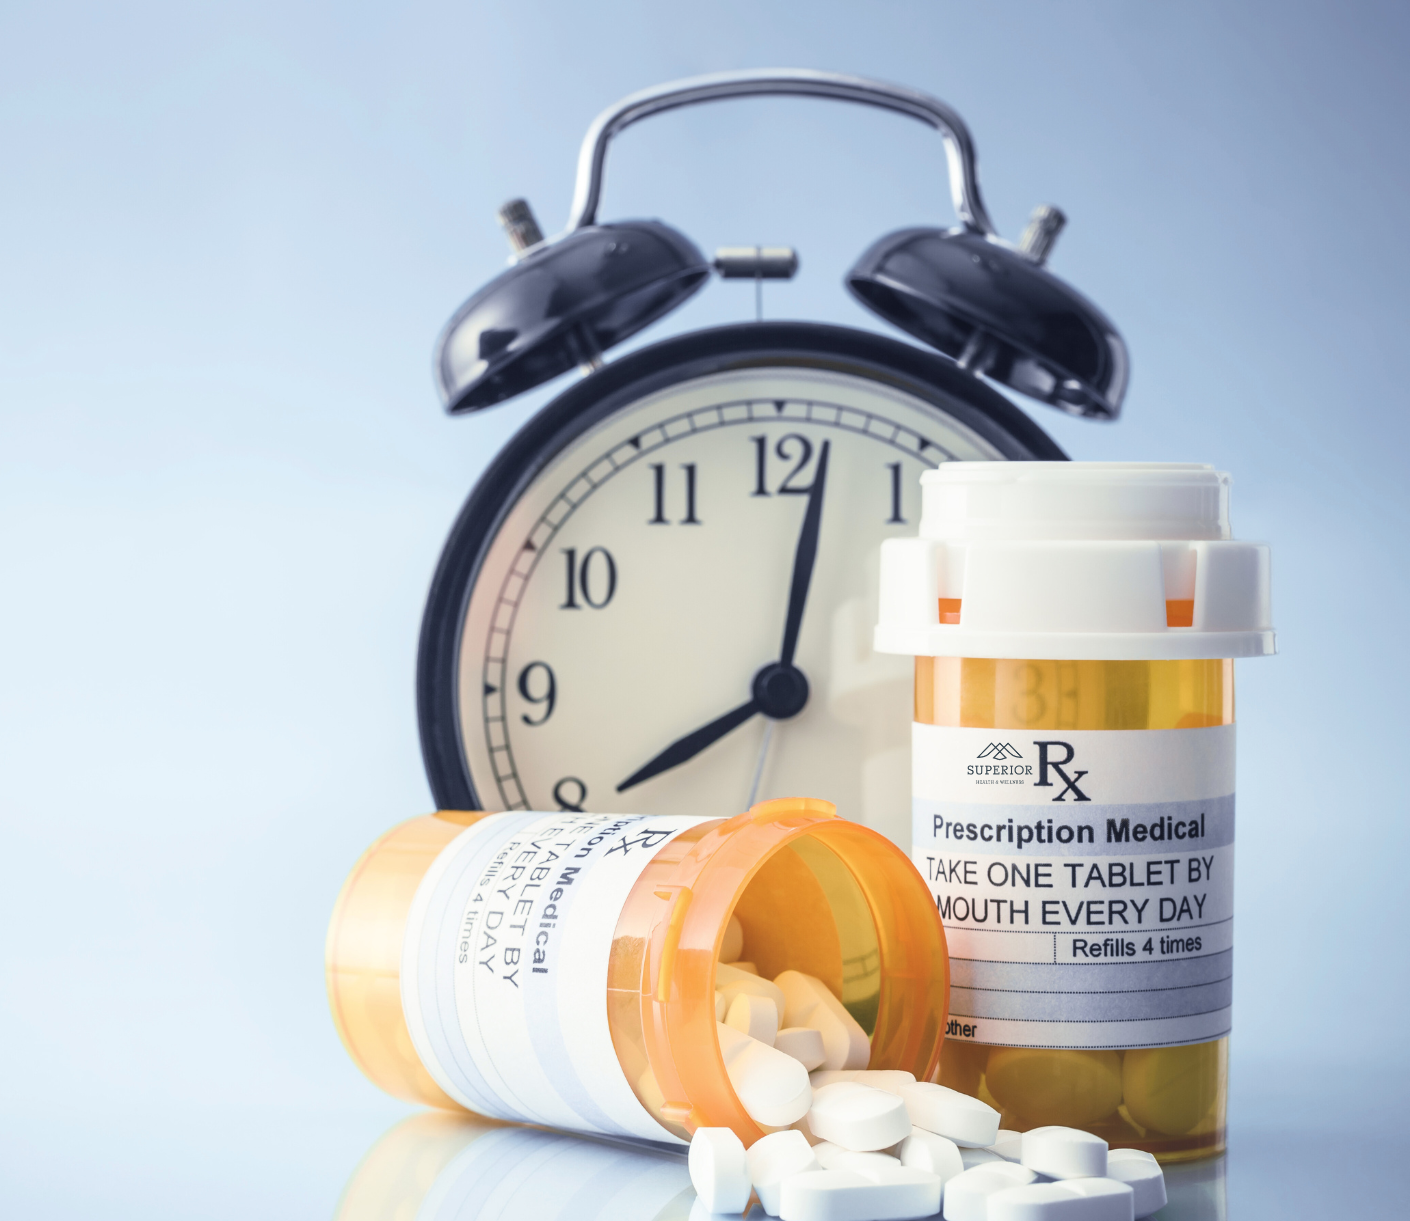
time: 8:02
